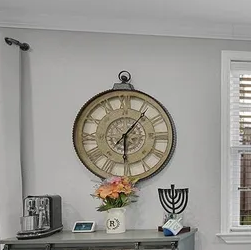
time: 6:06
